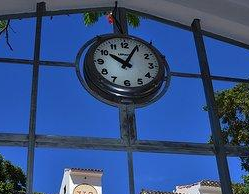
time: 10:04
